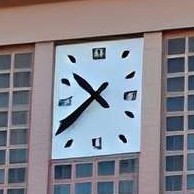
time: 10:37
